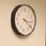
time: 3:21
